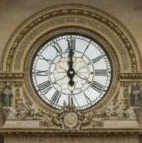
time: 11:59
